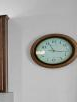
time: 11:17
